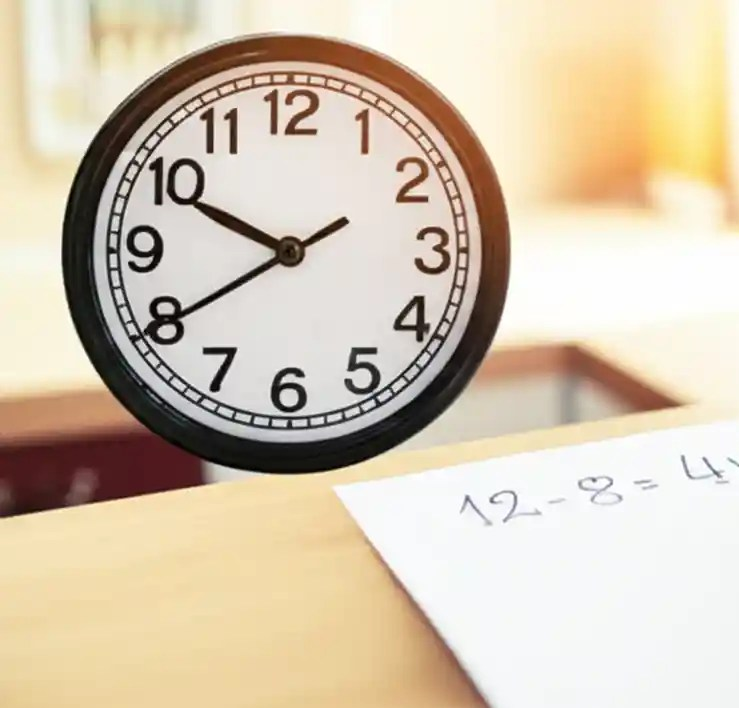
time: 9:40
